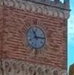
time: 11:13
